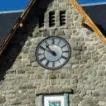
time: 10:50
